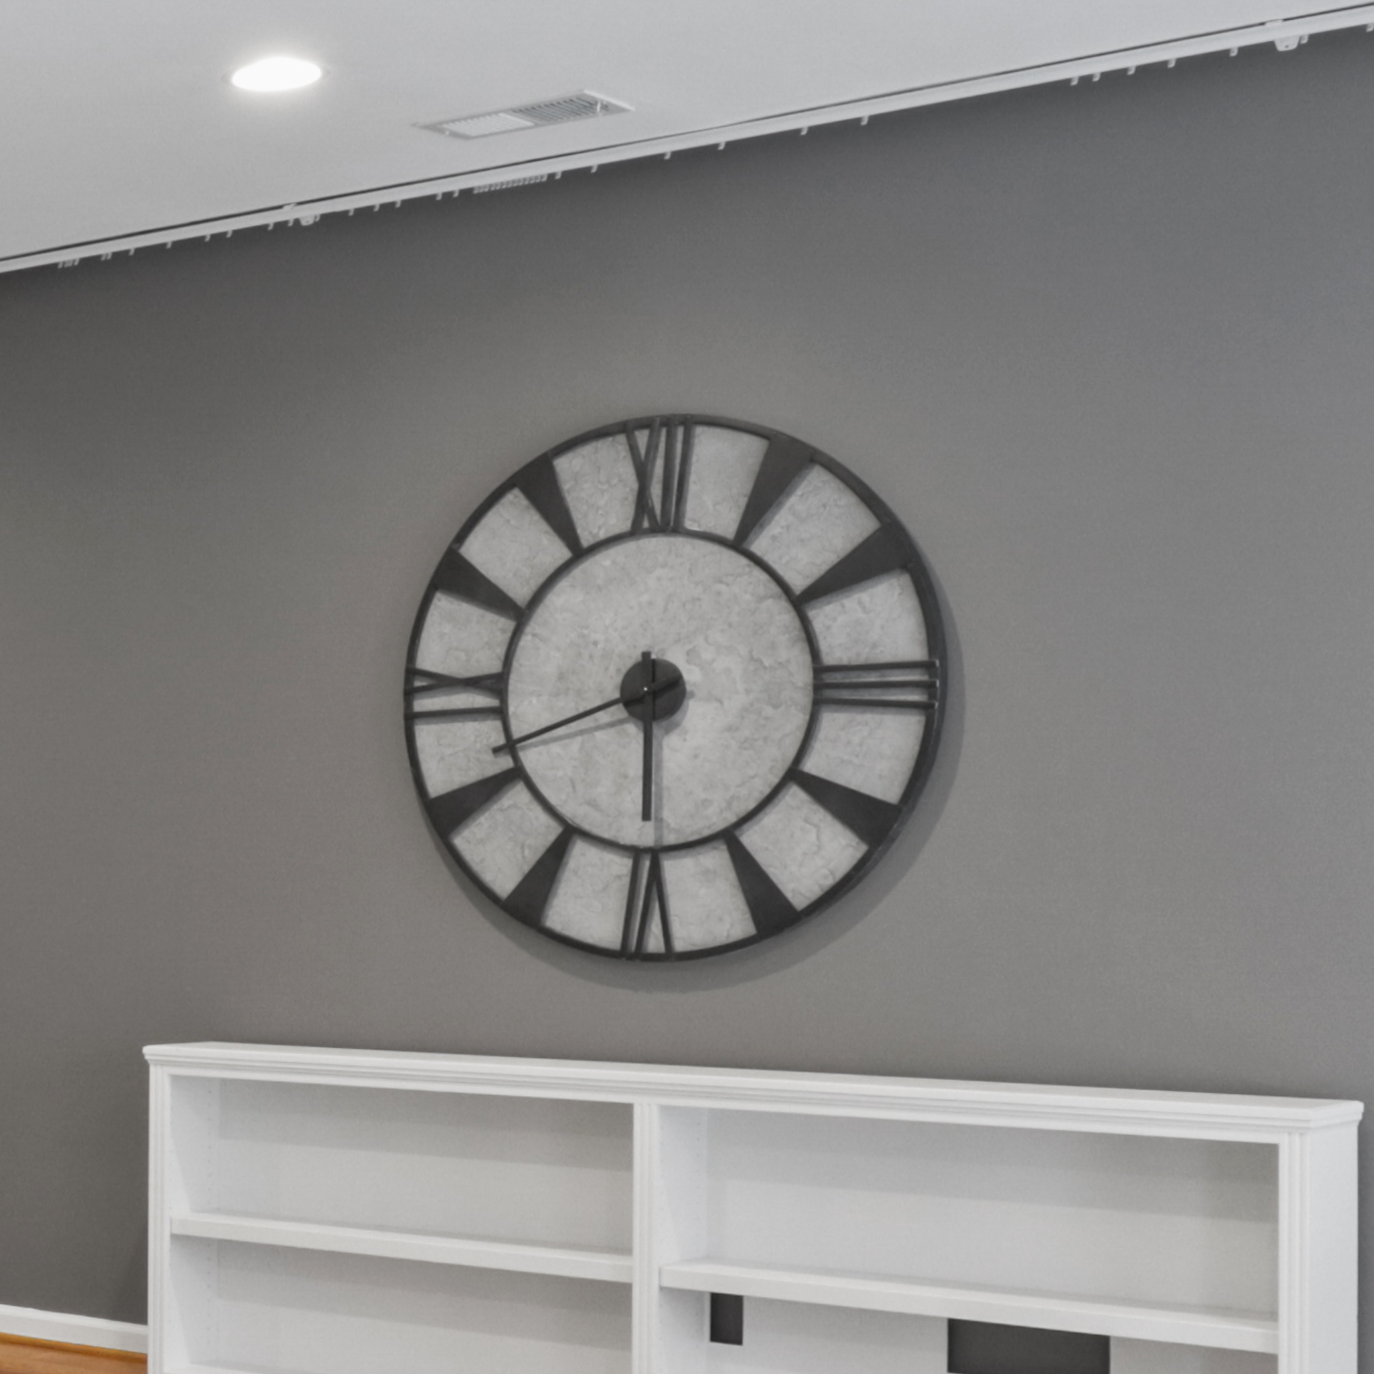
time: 5:41
